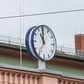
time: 10:59
